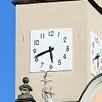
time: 5:41
